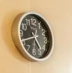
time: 4:40
